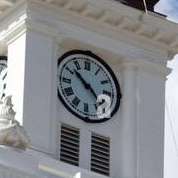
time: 10:22
